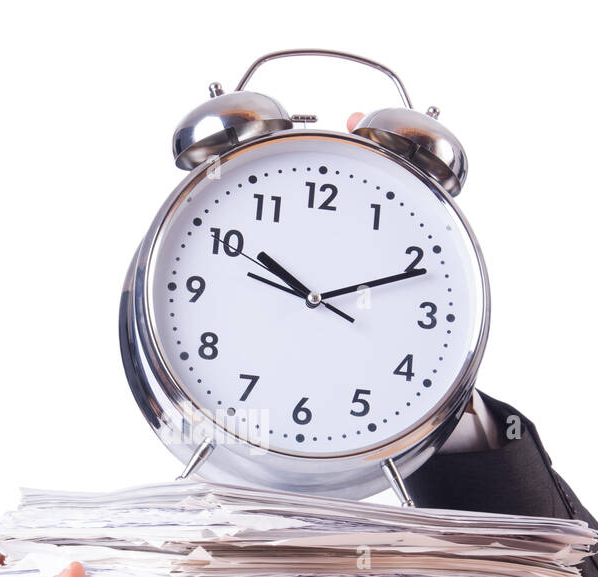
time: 10:11
